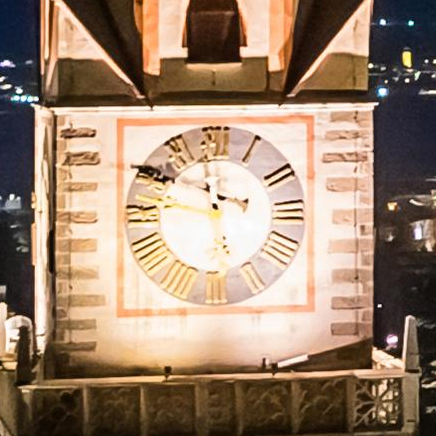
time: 11:46
